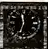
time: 11:33
